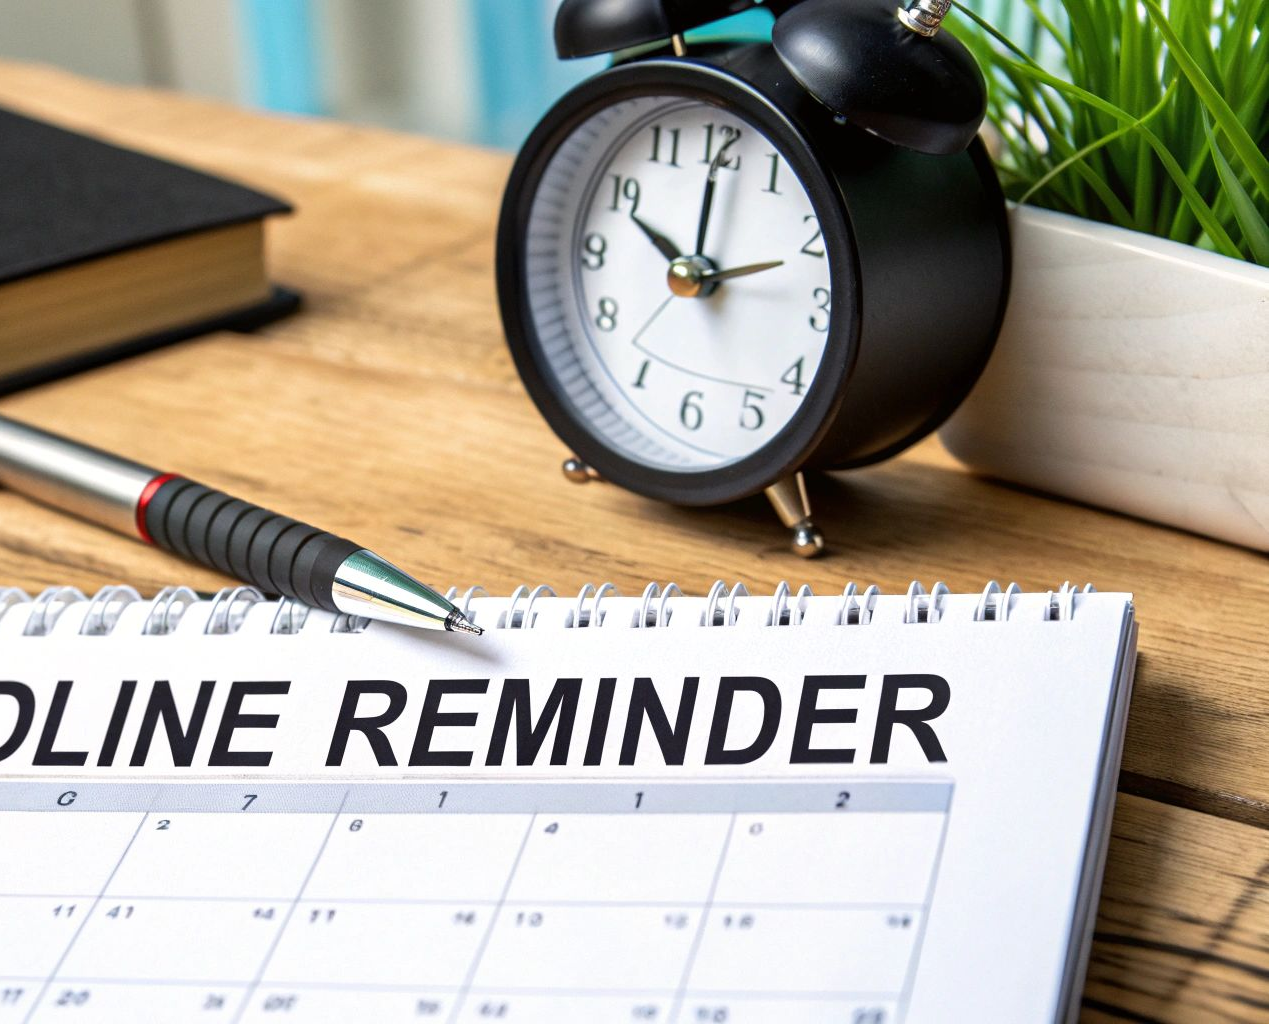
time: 10:00
